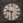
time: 9:31
